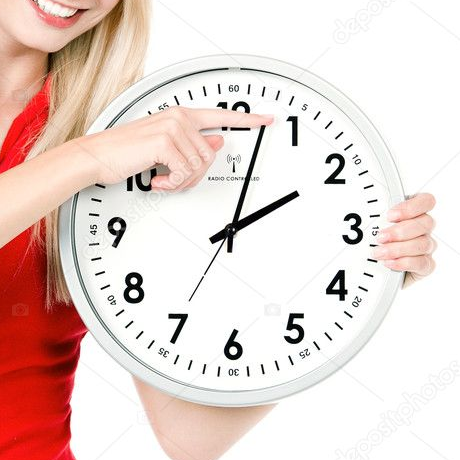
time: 2:02
